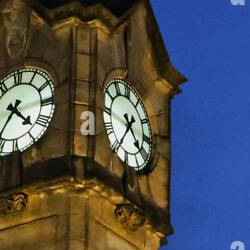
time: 4:35
